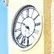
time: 4:50
